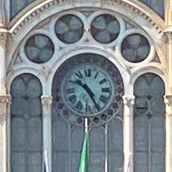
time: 10:24
